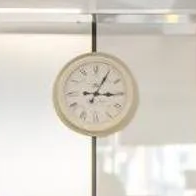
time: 3:04
